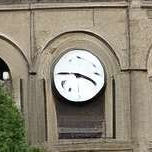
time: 3:45
